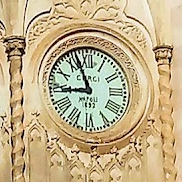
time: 8:56
